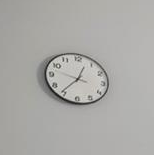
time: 12:36
